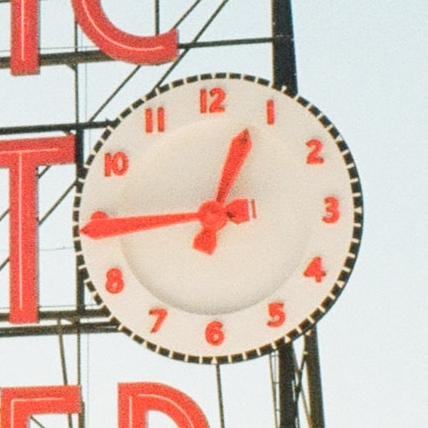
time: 12:44
